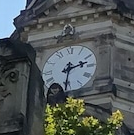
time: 2:31
